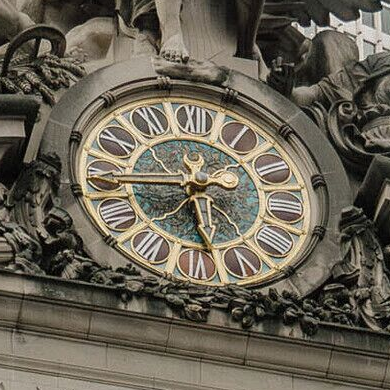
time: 5:44
